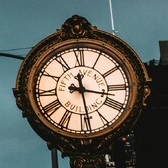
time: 3:28
